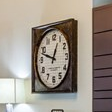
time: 12:47
